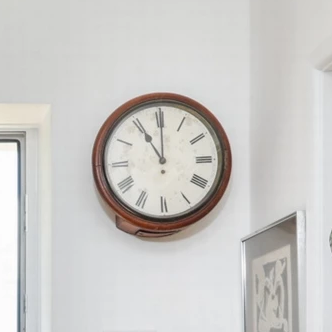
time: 11:00
